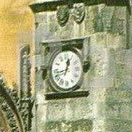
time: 12:42
